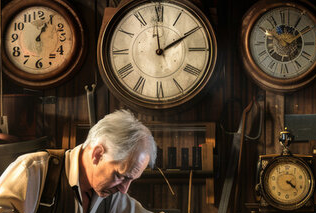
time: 1:59
